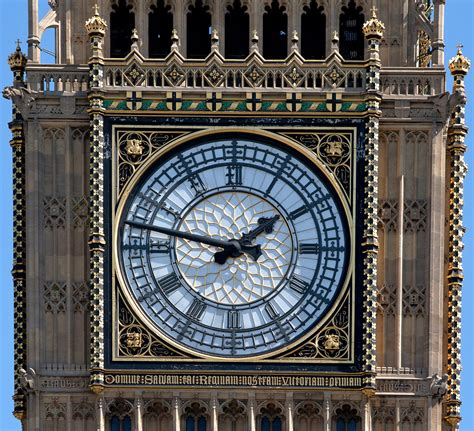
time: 1:47
